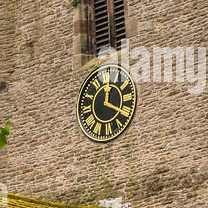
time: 12:19
